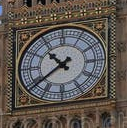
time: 10:39
